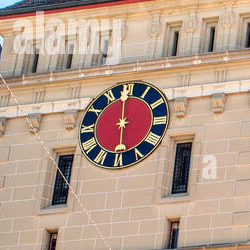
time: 5:59
